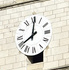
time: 8:00
